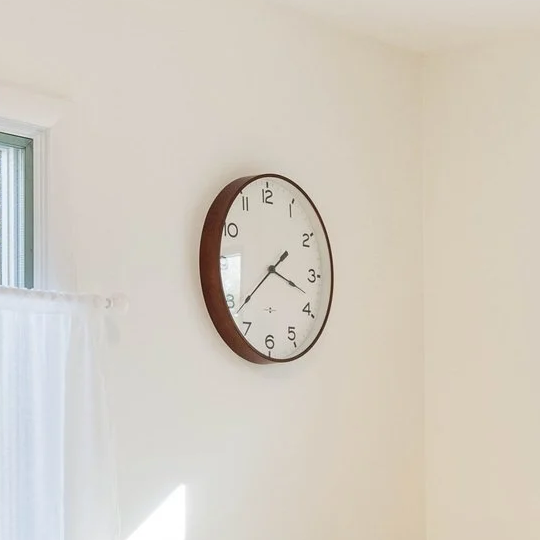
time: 3:38
